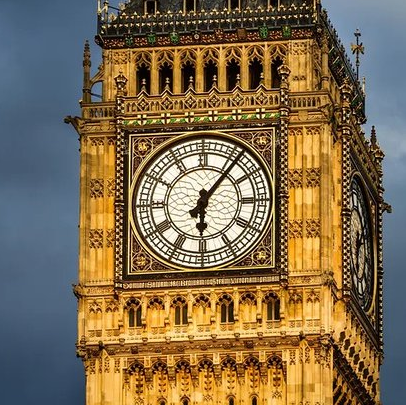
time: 6:06
